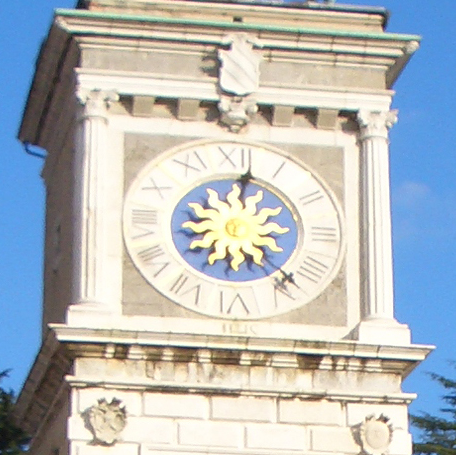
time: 12:22
